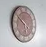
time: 5:49
